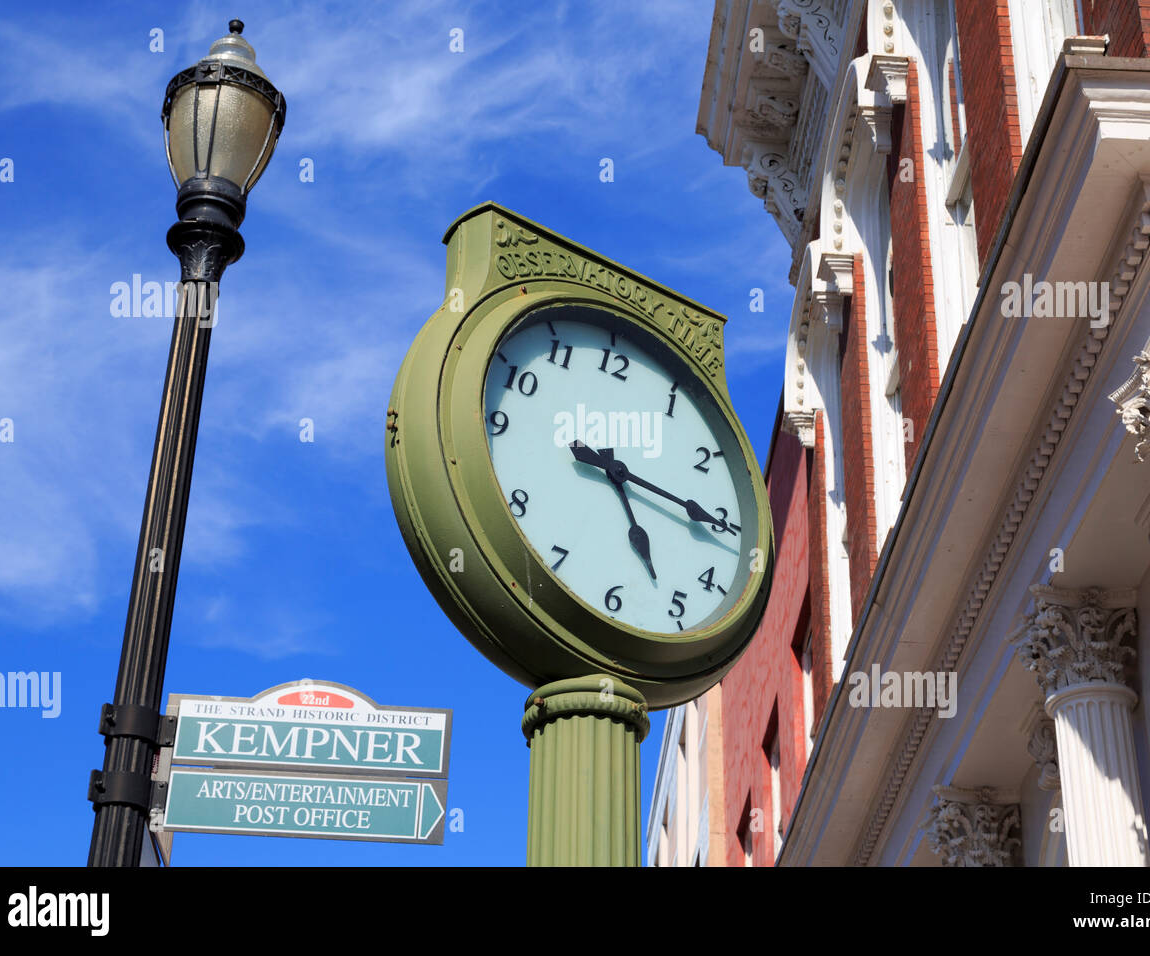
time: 5:15
